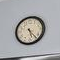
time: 5:23
